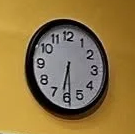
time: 6:29
